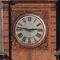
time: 2:46
